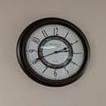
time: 2:40
